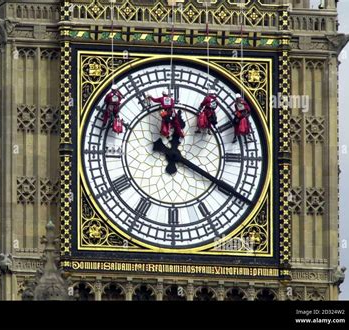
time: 12:19
